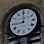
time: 11:44
